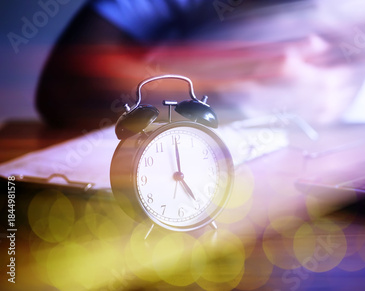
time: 5:00
